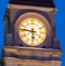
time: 5:46
